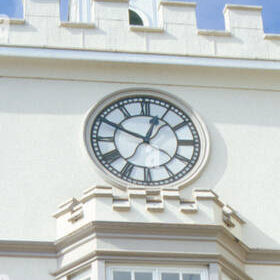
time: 12:49
